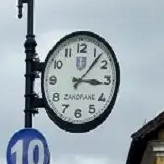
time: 3:06
